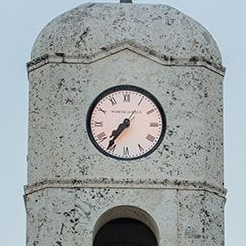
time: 7:35
